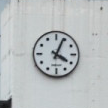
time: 4:04
